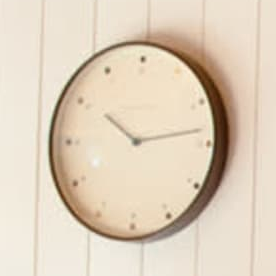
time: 10:13
